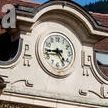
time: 4:44
